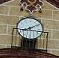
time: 8:09
